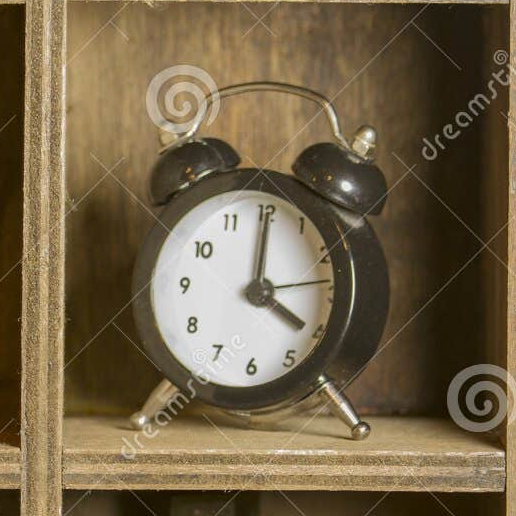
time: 4:00
